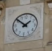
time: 1:51
